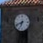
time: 6:41
